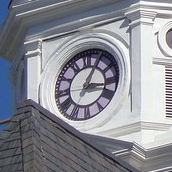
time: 3:04
